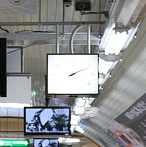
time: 2:11
